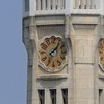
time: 7:07
